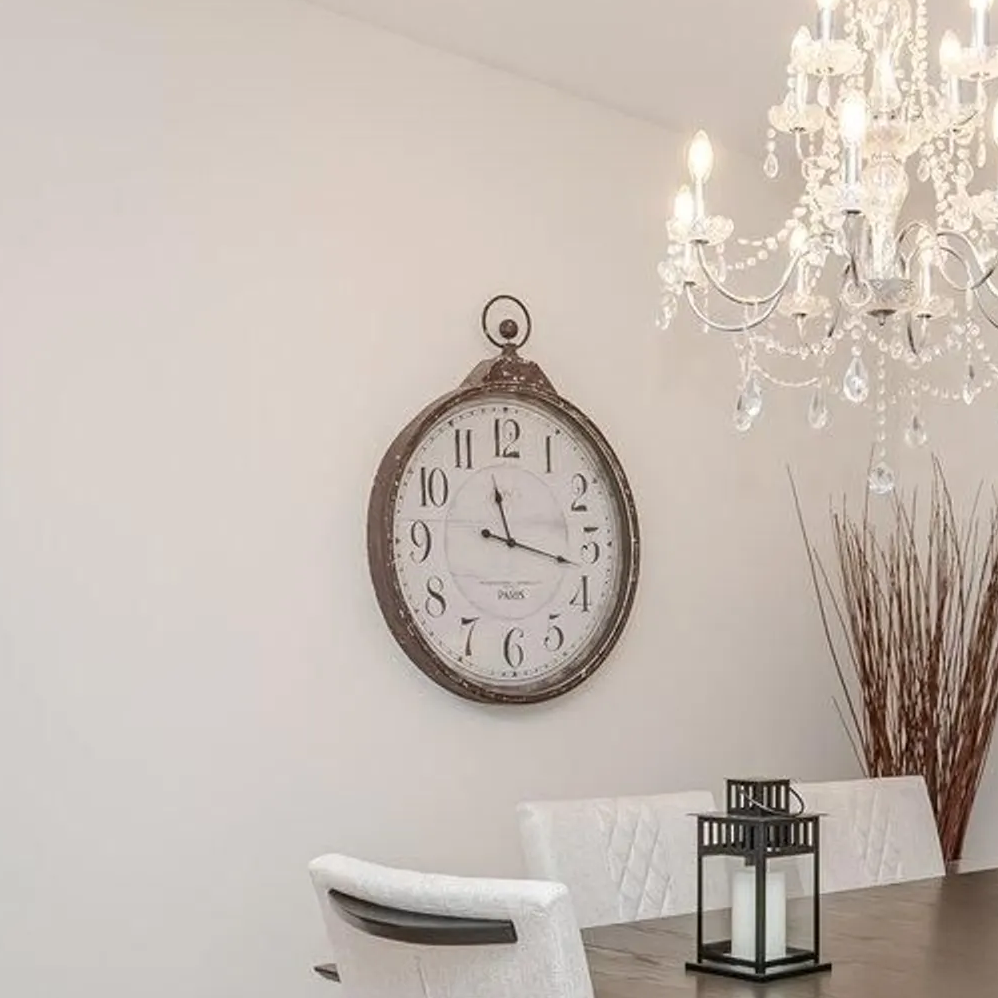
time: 11:17
